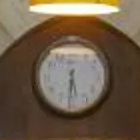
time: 5:31
